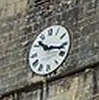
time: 10:17
